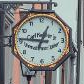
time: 12:46
